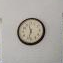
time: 11:32
